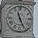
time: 11:25
